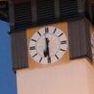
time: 6:29
